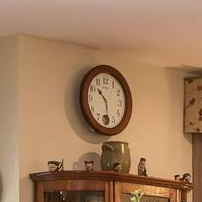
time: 10:28
